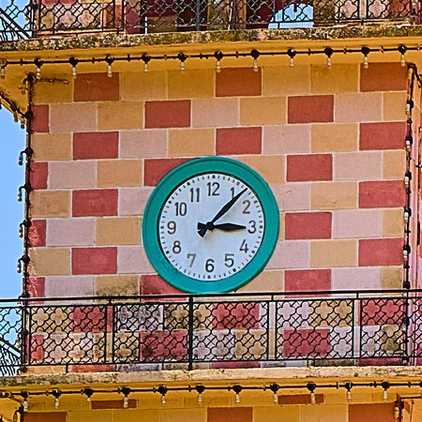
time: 3:06
